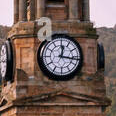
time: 12:16
